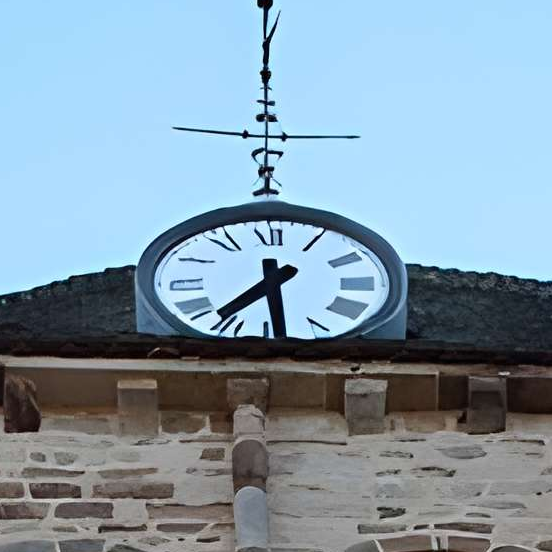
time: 7:29
